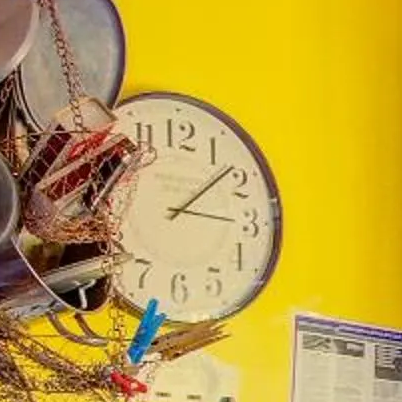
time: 3:08
